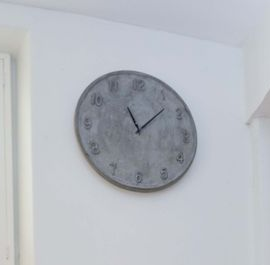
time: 11:07
